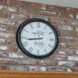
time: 8:43
